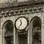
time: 11:35
